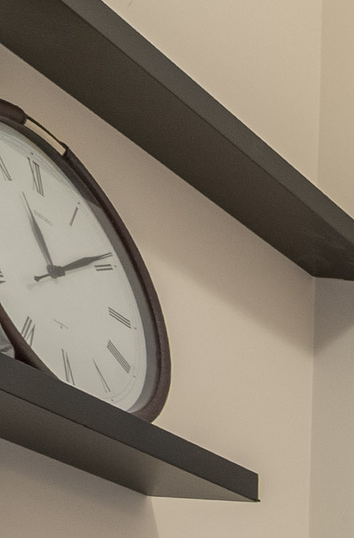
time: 11:09
